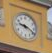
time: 9:19
